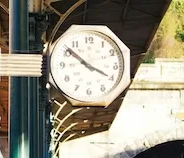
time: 3:51
